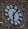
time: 6:06
